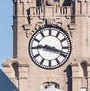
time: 9:18
